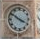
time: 3:50
